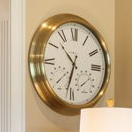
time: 10:32
